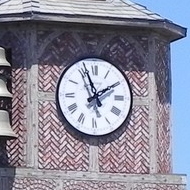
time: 1:56
